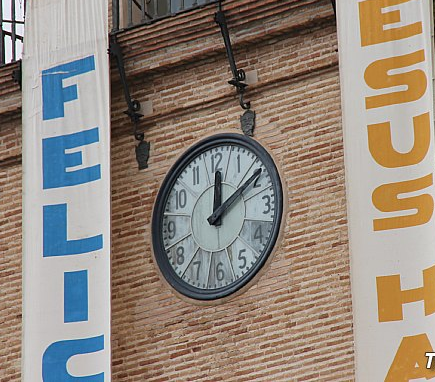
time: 12:09
